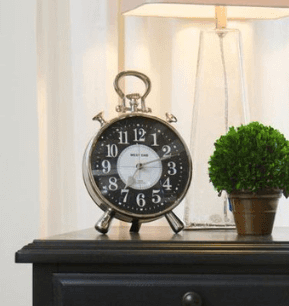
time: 7:11
